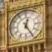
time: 12:24
